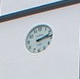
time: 2:13
